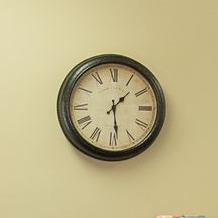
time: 1:28
